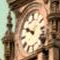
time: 9:50
